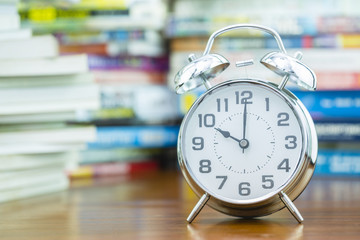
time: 10:00
